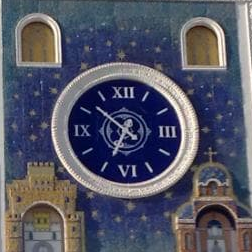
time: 6:52
